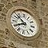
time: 7:52
